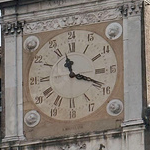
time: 11:19
